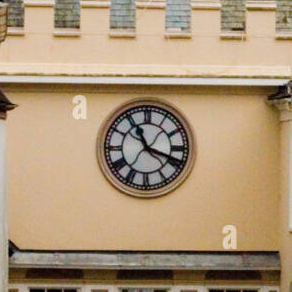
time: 11:18
